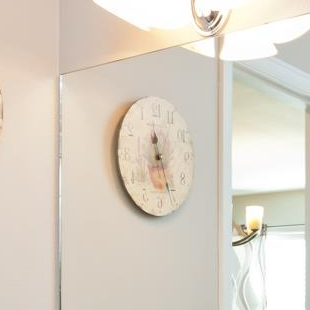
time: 11:26
